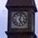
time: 5:02
